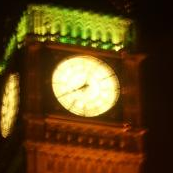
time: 8:03
